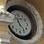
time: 11:23
